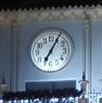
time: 7:05
